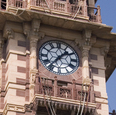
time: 1:36
